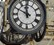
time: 11:49
